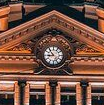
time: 8:53
